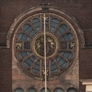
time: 5:59
